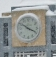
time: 3:50
